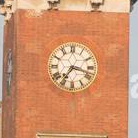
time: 7:17
